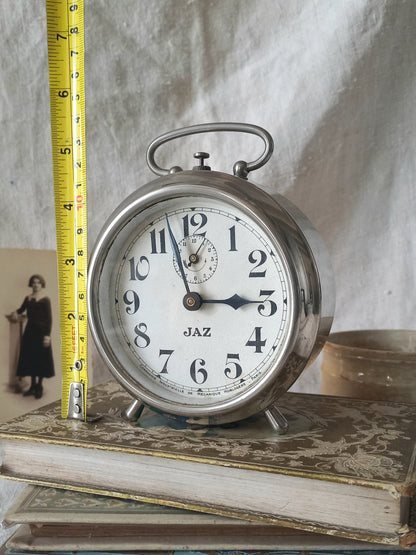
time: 2:57
